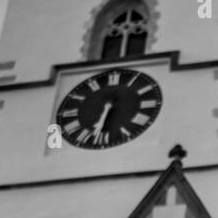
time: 6:32
